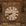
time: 8:40
